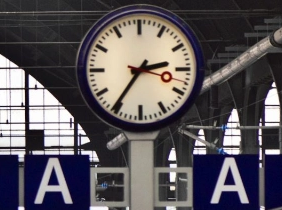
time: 2:35
